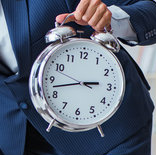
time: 2:42
